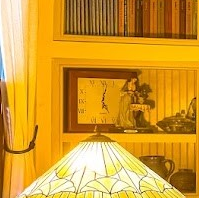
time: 5:02
